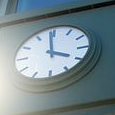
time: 3:58
